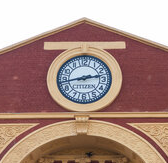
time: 2:43
